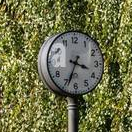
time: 3:34
